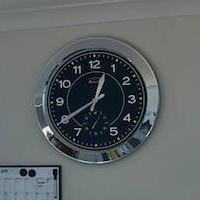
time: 12:39
